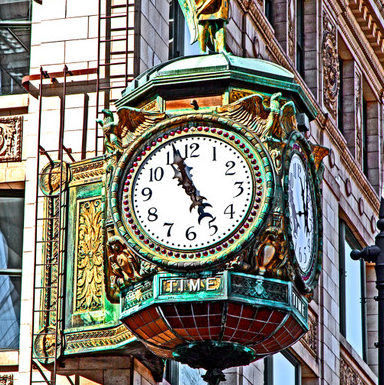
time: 4:56
